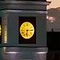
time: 6:14
